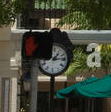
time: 1:13
